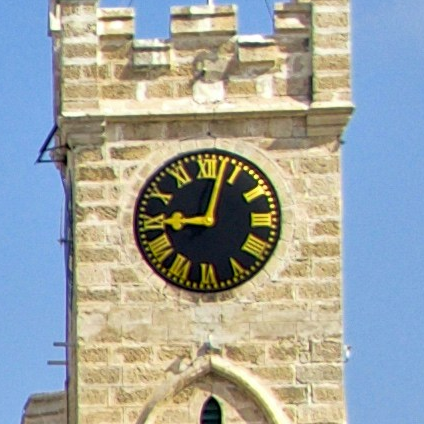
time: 9:02
